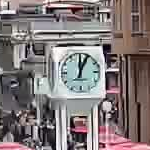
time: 12:04
